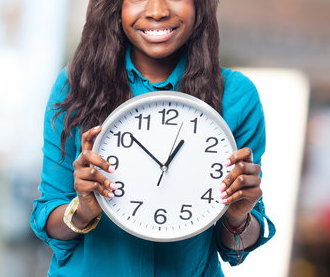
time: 12:51
